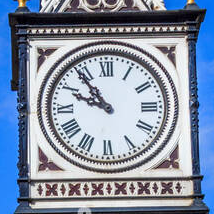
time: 9:53
